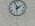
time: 1:56
